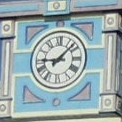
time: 9:07
